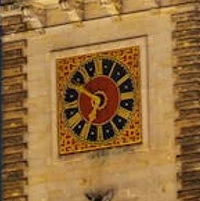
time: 6:49
